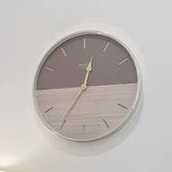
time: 12:35
